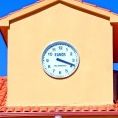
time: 3:18
